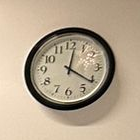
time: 12:20
